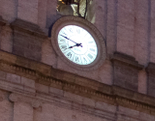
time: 7:47
